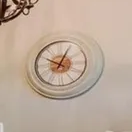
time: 12:49
